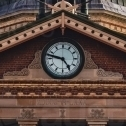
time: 4:47
